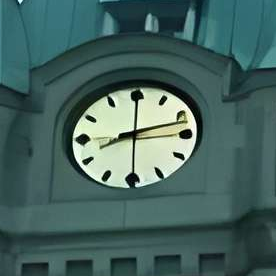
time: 8:12
